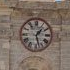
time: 1:27
